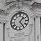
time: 1:24
